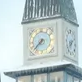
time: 7:37
